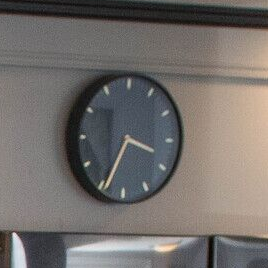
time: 3:34
